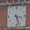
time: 3:26
